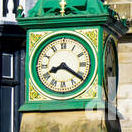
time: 8:20
